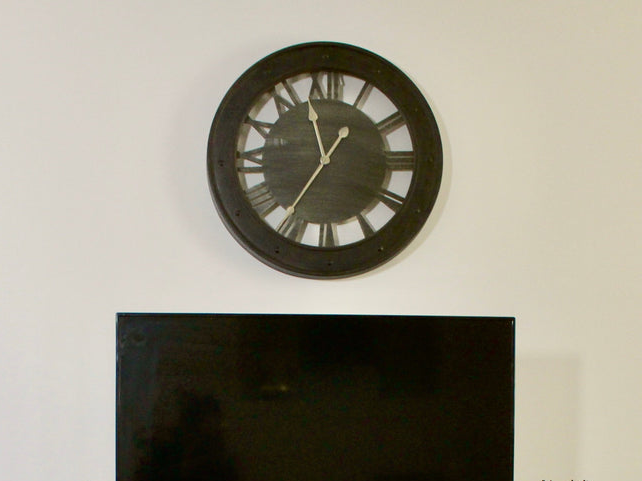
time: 11:35
